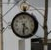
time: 4:31
